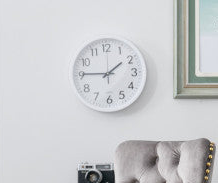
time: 1:45
